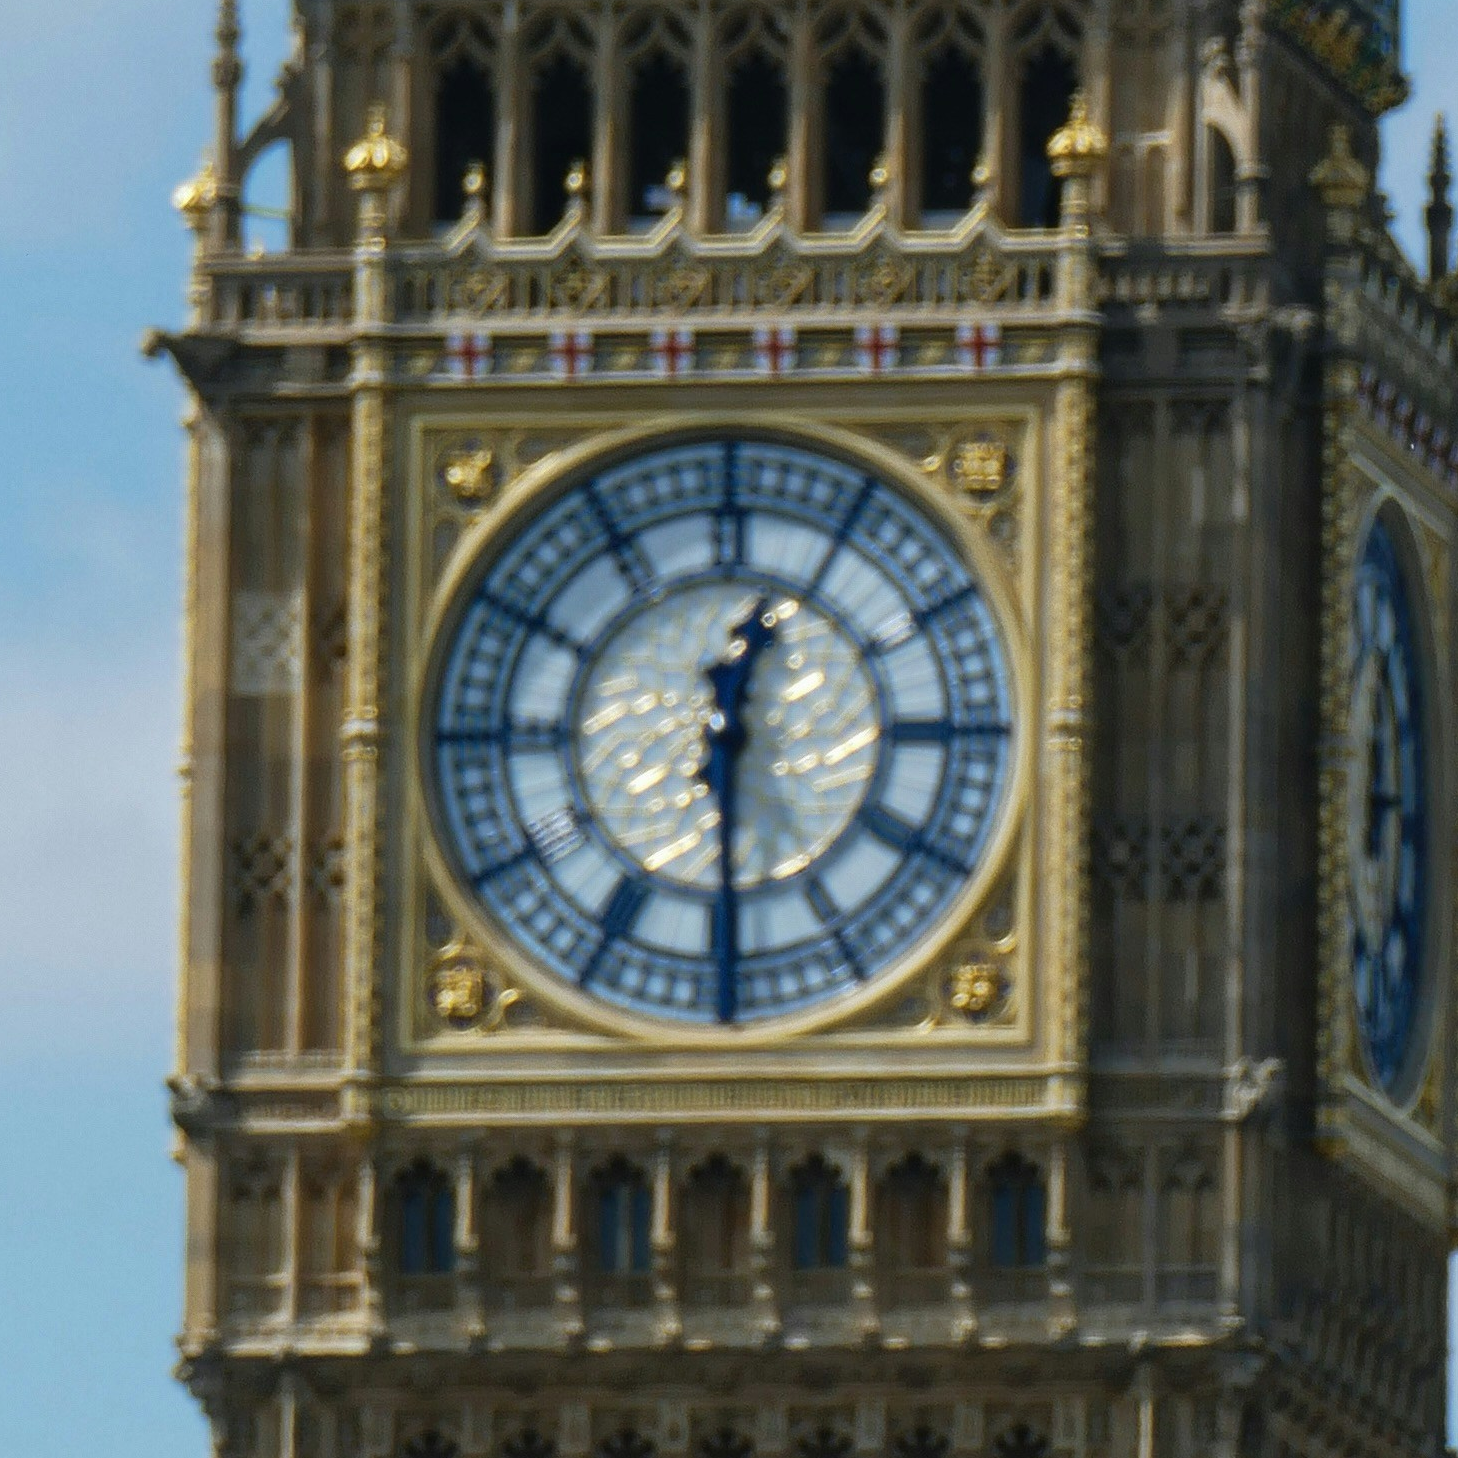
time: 12:29
